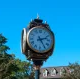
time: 2:24
